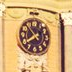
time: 7:52
